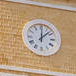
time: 12:07
